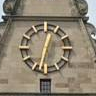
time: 12:32
